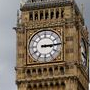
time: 3:14
